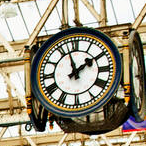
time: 1:57
